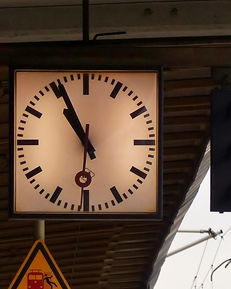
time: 10:55
